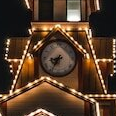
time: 8:35
